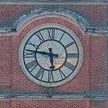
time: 5:46
